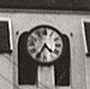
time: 4:34
